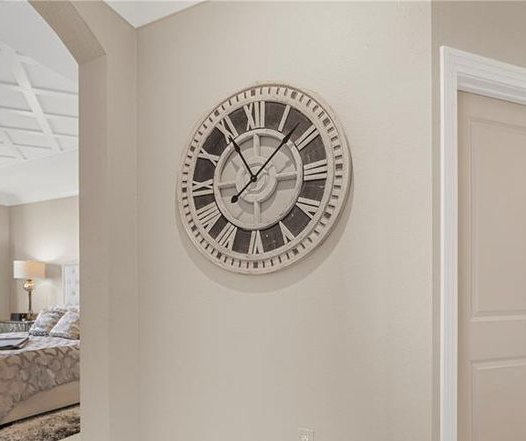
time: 11:07
